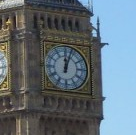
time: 12:03
